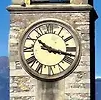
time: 10:17
